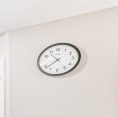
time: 10:38
